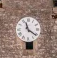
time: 11:21
